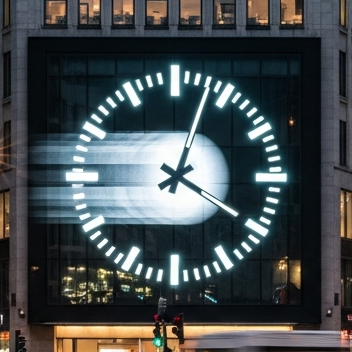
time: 4:03
